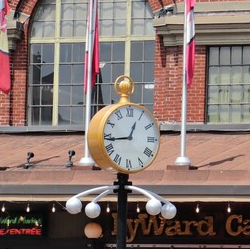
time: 12:43
